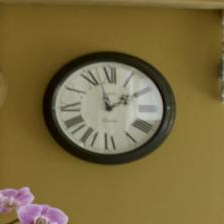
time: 1:57
